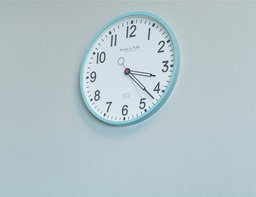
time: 3:22
